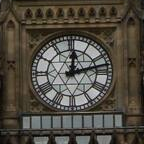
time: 12:12
